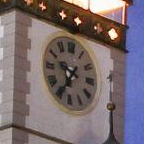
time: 9:35
